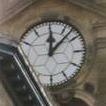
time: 12:07
